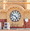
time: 4:48
